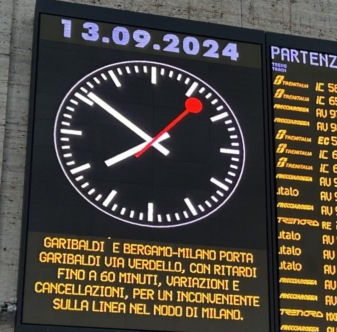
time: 7:51
